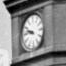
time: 9:45
